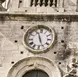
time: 11:26
